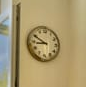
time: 8:49
